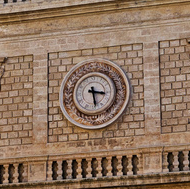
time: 3:28
